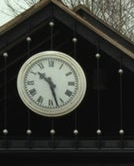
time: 10:27
